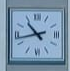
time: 10:42
